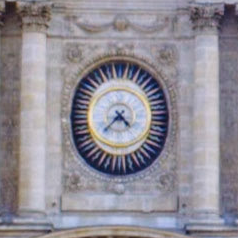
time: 4:37
